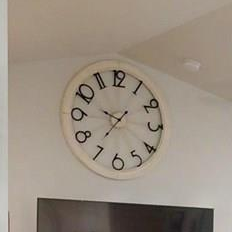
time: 9:36
